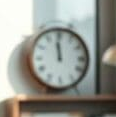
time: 11:58
